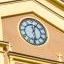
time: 12:28
